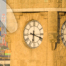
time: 6:18
